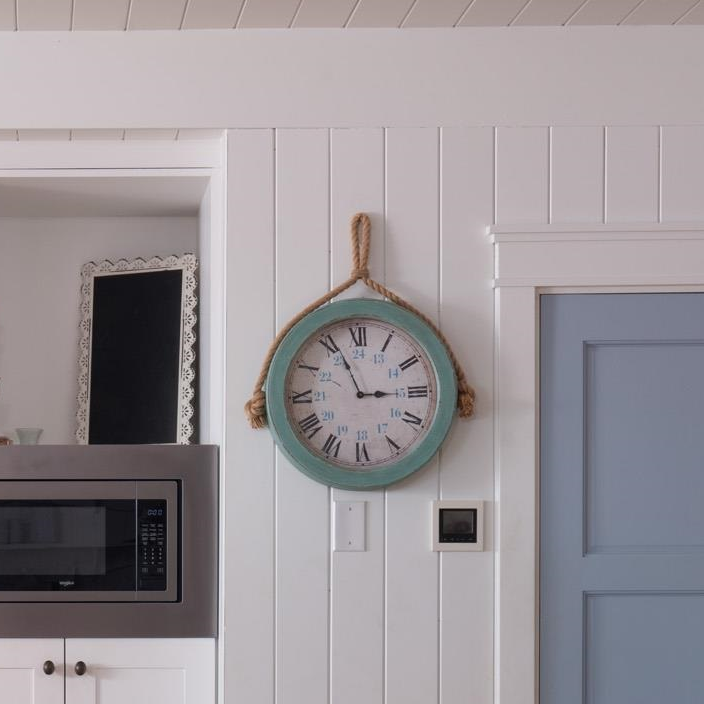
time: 2:56
